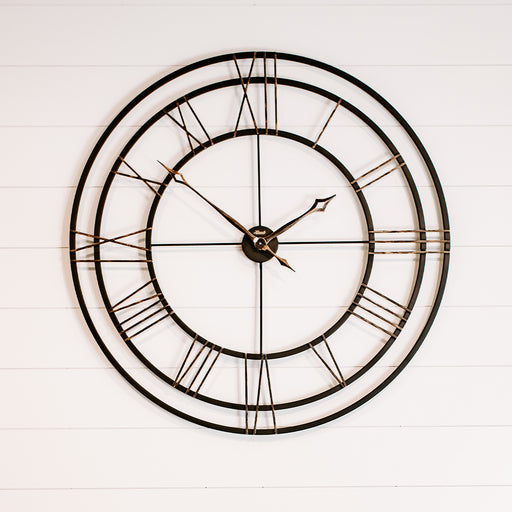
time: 1:51
